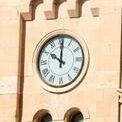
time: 10:00
